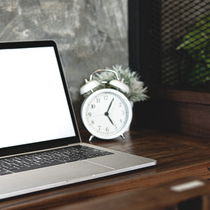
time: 5:04
